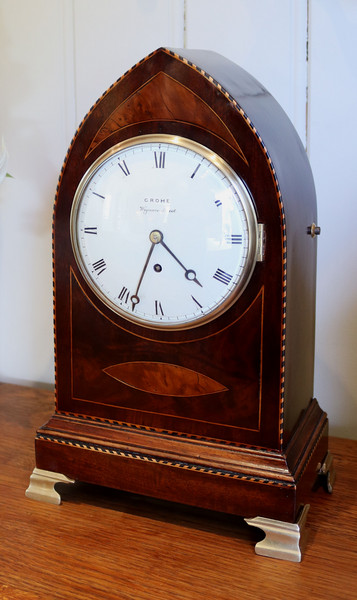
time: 4:33
